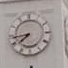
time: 7:43
